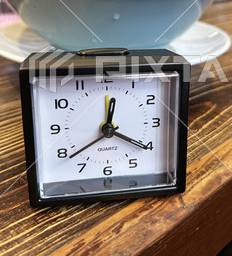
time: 12:20
